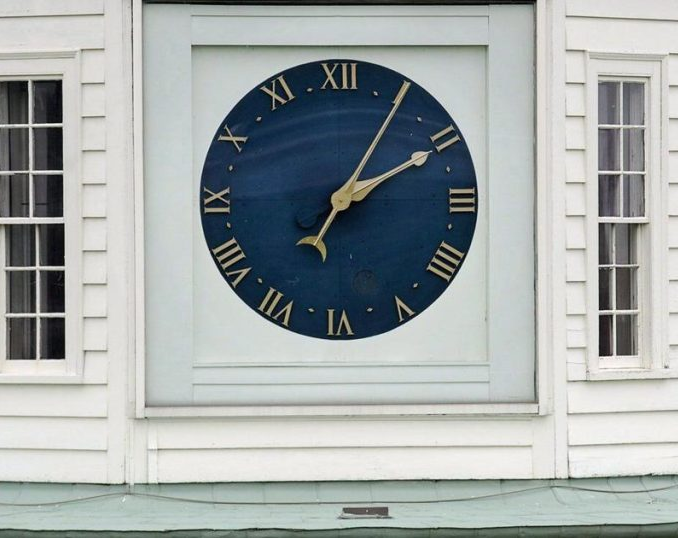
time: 2:05
